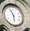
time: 5:55
